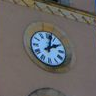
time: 2:02
